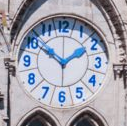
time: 1:50
